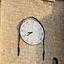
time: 8:39
